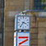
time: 3:36
